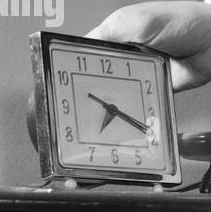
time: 7:19
